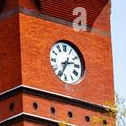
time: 2:34
